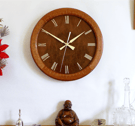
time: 1:50
